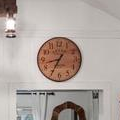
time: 8:34
